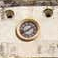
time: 8:09
